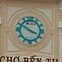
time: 3:50
